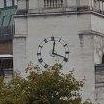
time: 12:18
